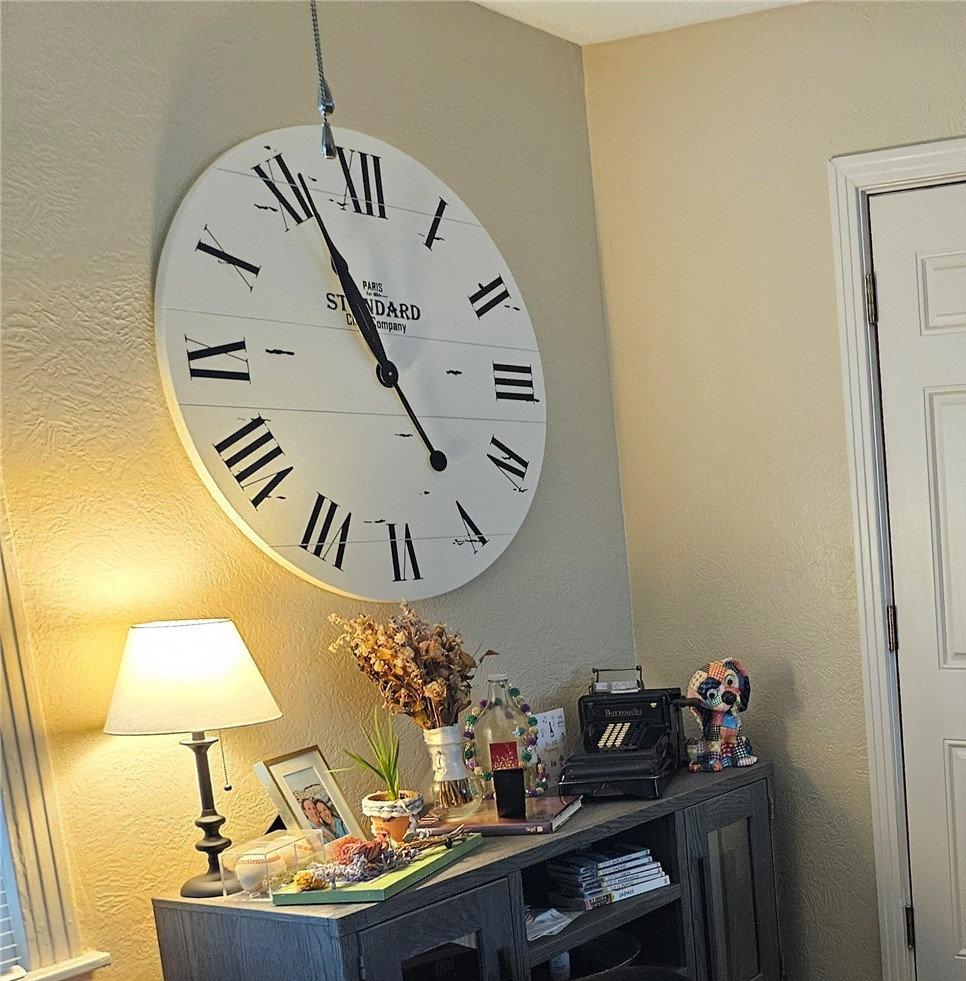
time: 10:56
